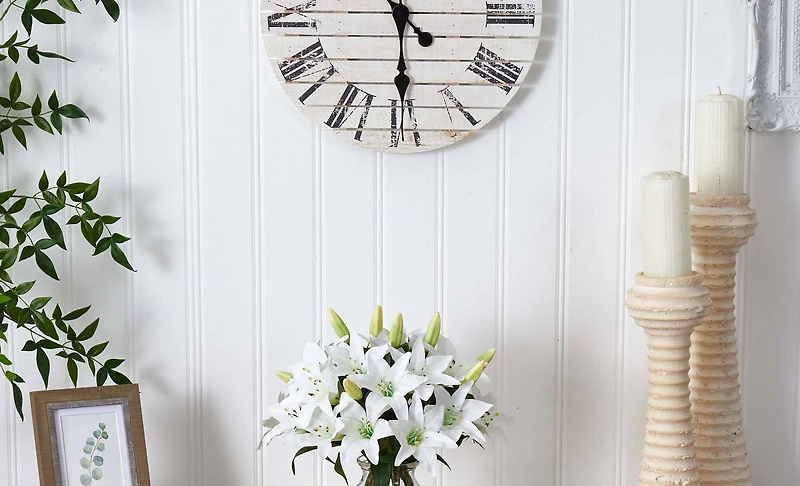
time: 4:29
